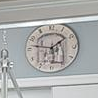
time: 1:46
